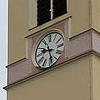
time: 9:28
